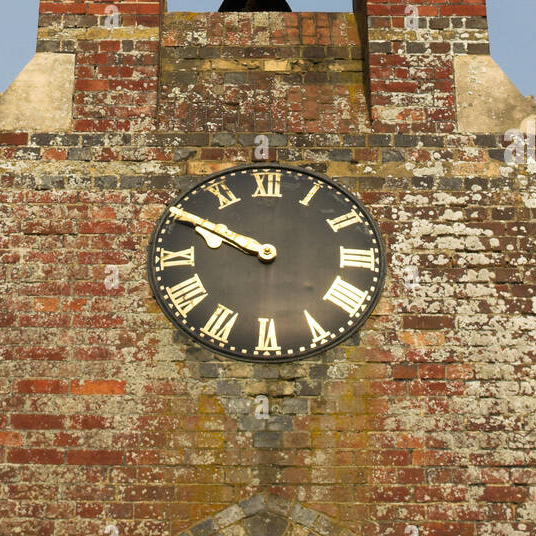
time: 9:50
